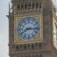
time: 8:16
